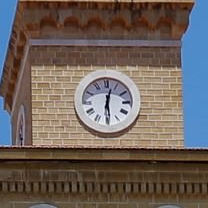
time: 12:29
